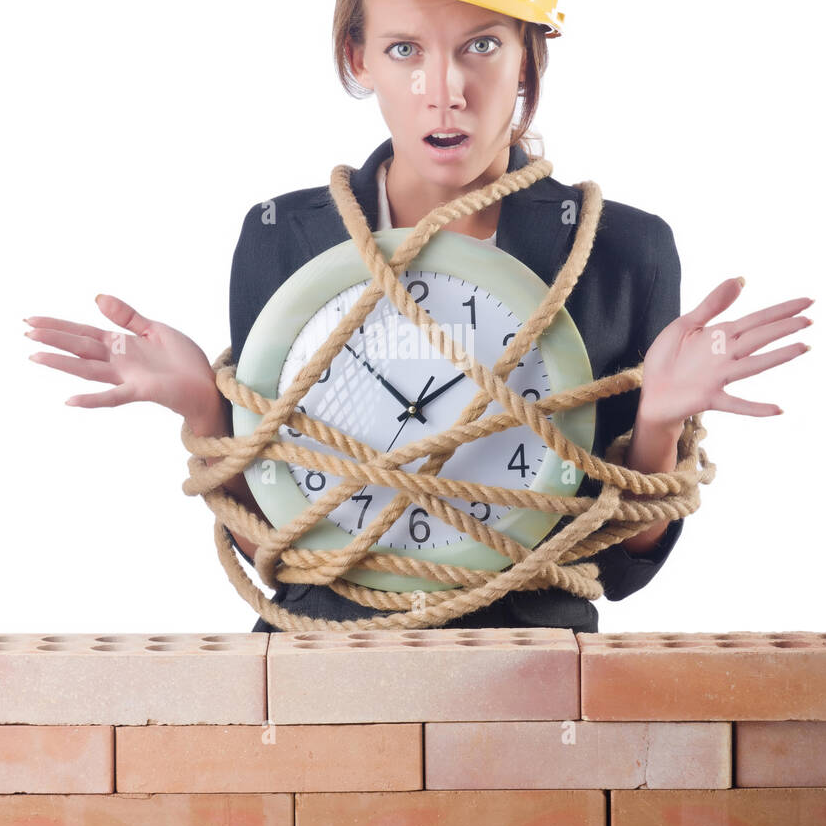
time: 1:53
